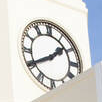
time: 1:40
